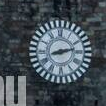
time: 8:12
